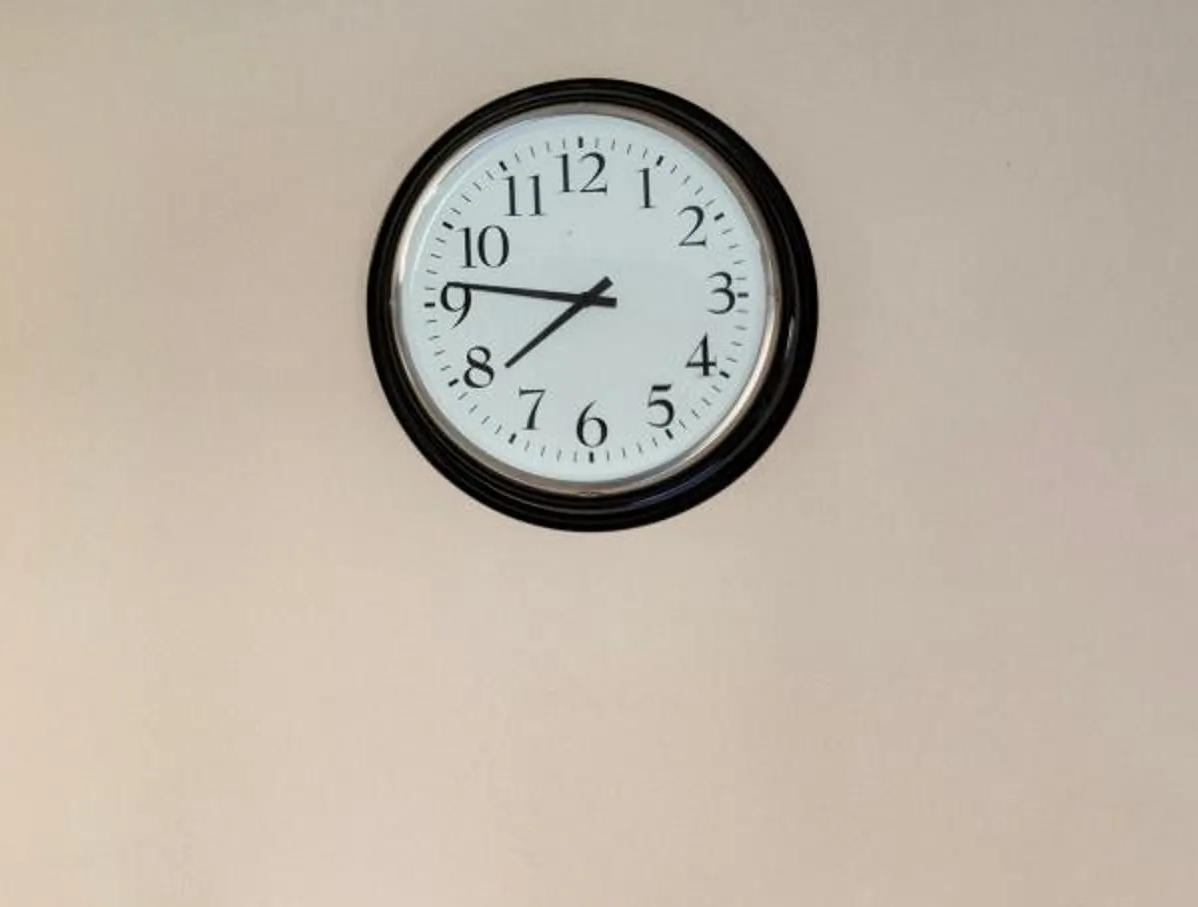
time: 7:46
